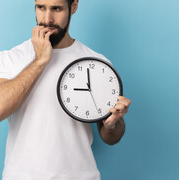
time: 8:58
